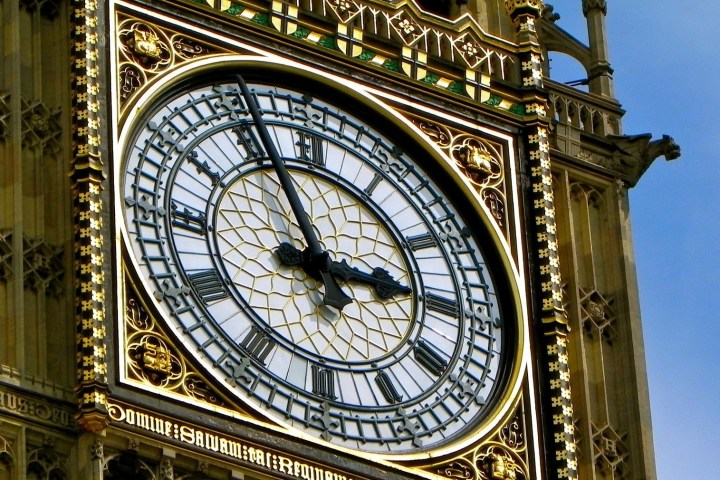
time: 2:56
